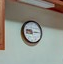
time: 9:14
